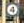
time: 8:27
